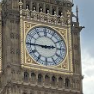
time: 2:45
